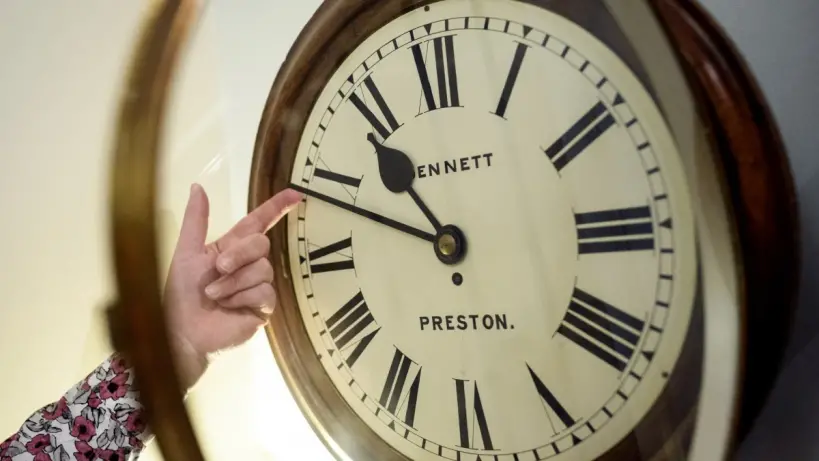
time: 10:48
